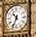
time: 10:34
